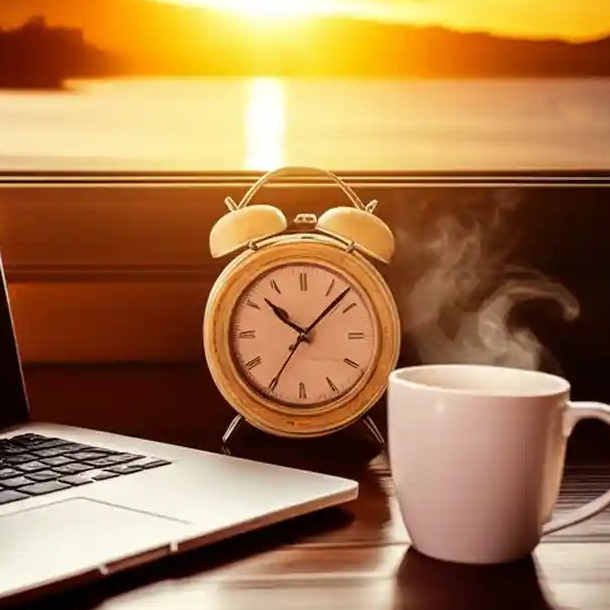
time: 10:07
